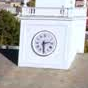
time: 2:29
